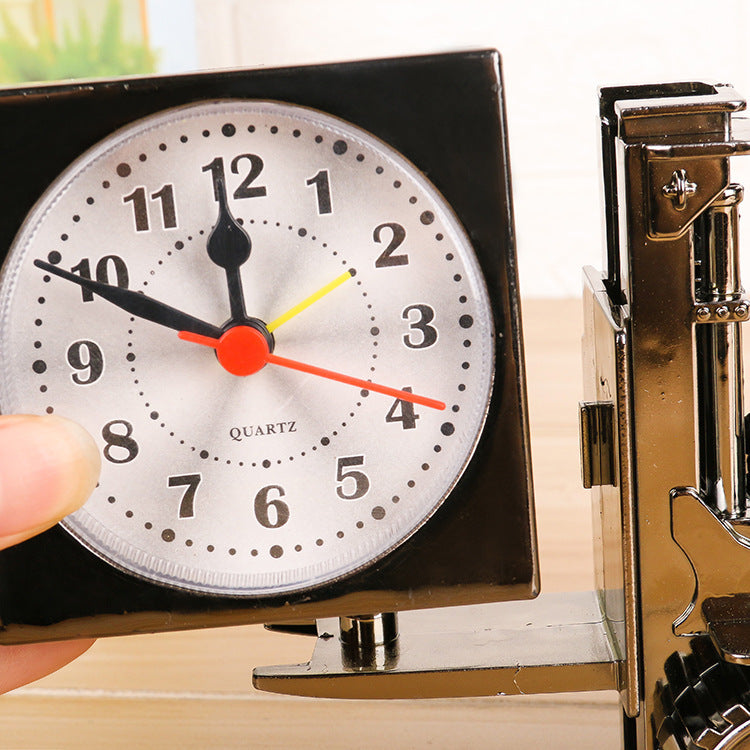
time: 11:49
